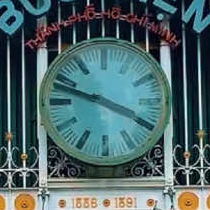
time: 3:48
